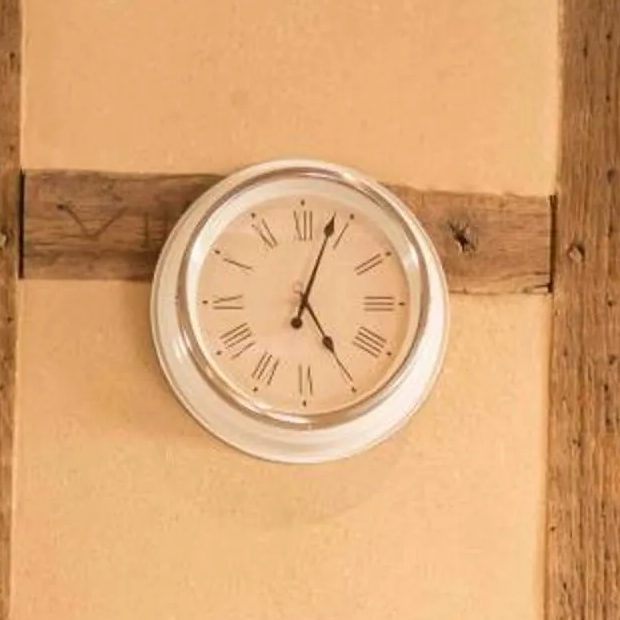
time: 5:03
